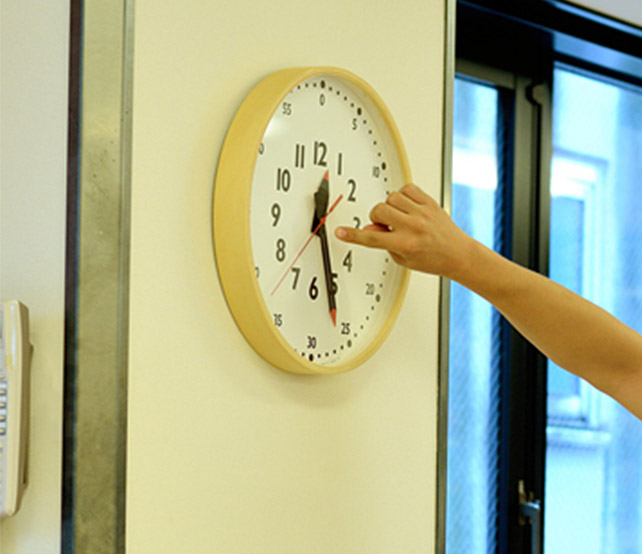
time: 12:26
